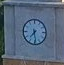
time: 7:28
